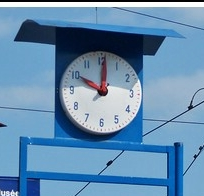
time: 10:00
